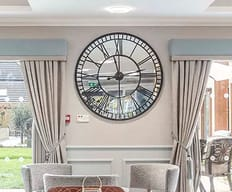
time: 11:44
